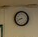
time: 8:41
